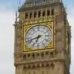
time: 6:41
